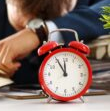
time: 11:55
